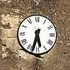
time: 5:32
